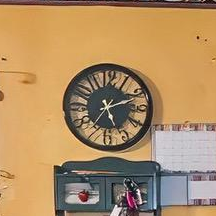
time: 5:11
